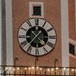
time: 4:36
